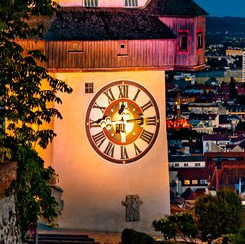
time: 12:13
